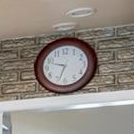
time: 9:33
